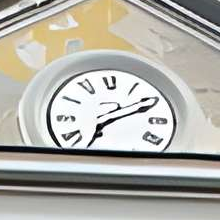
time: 7:11
